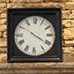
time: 3:50
